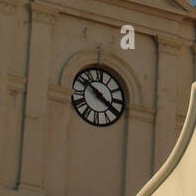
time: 3:50
